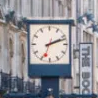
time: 2:11
